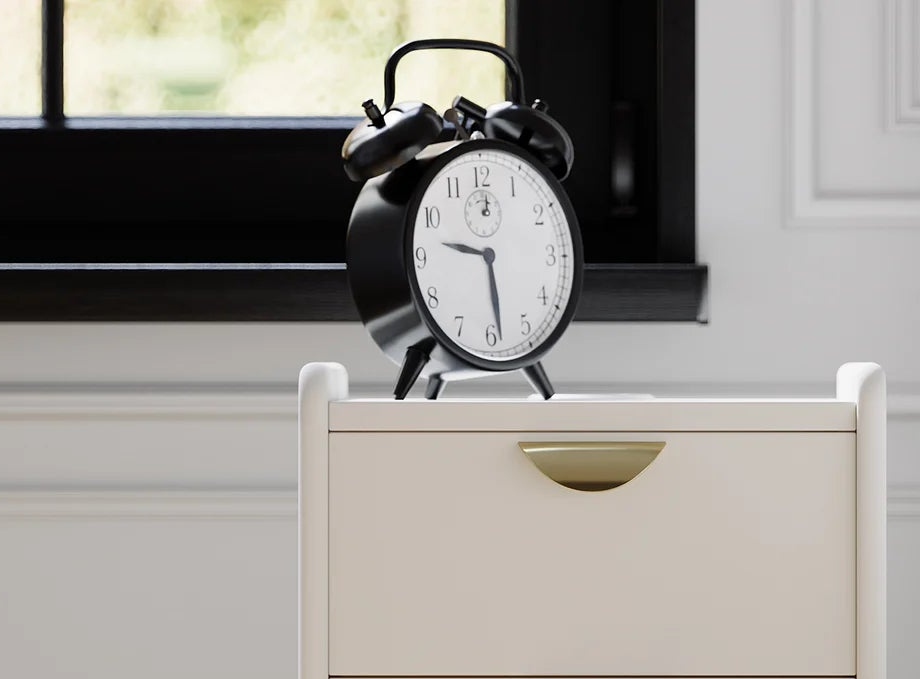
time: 9:28
